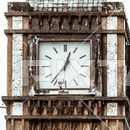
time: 12:36
